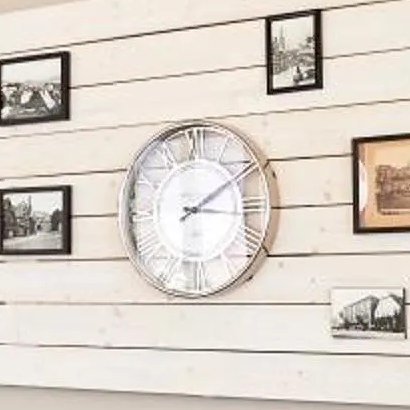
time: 3:09
